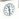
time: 11:28
